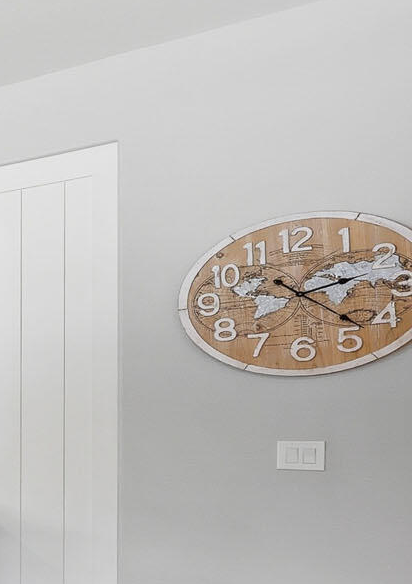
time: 2:22
